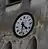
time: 4:32
